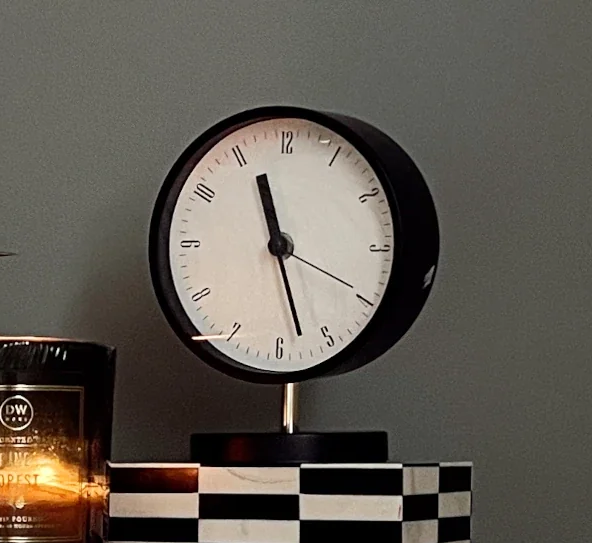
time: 11:27
